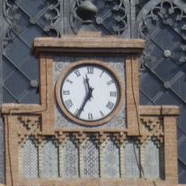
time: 11:34
